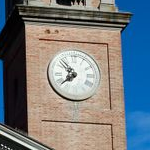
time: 7:52
